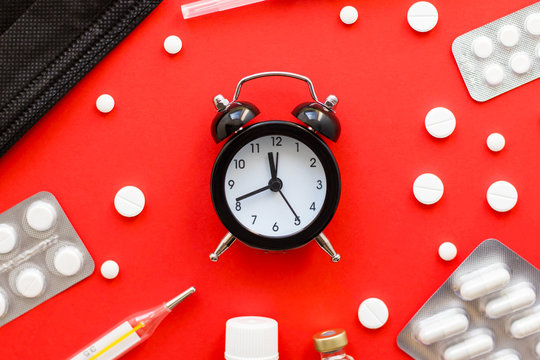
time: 11:41
